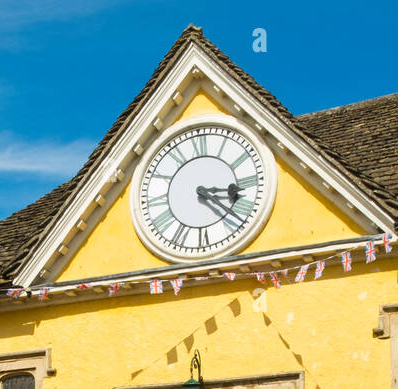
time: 3:22
